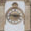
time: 2:46
